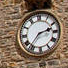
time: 2:36
